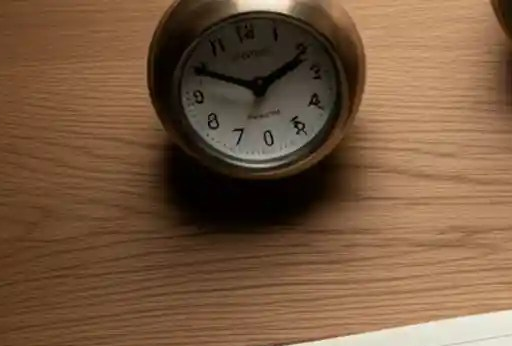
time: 1:49
